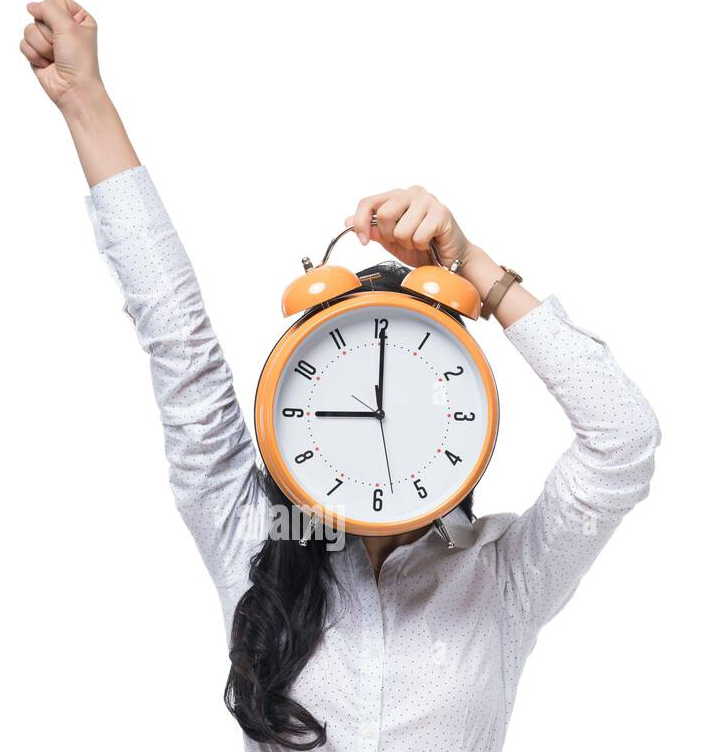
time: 9:00
